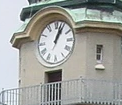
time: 1:03
